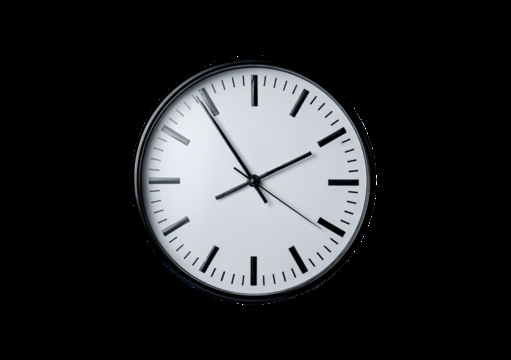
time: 1:54
